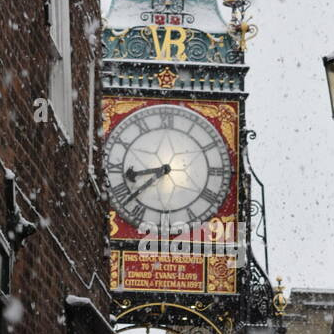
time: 8:38
